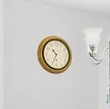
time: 10:34
